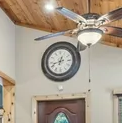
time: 12:42
